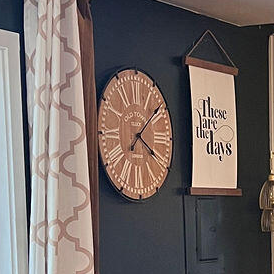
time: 4:08
